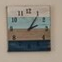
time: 2:06
